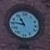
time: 10:46
